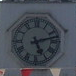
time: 5:12
